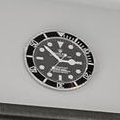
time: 2:52
